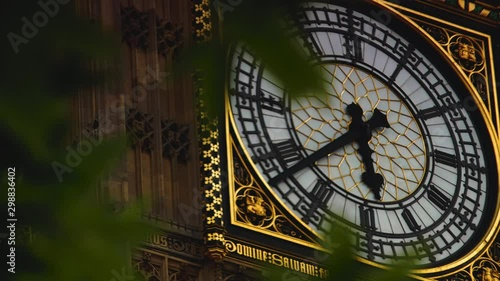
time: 5:38
